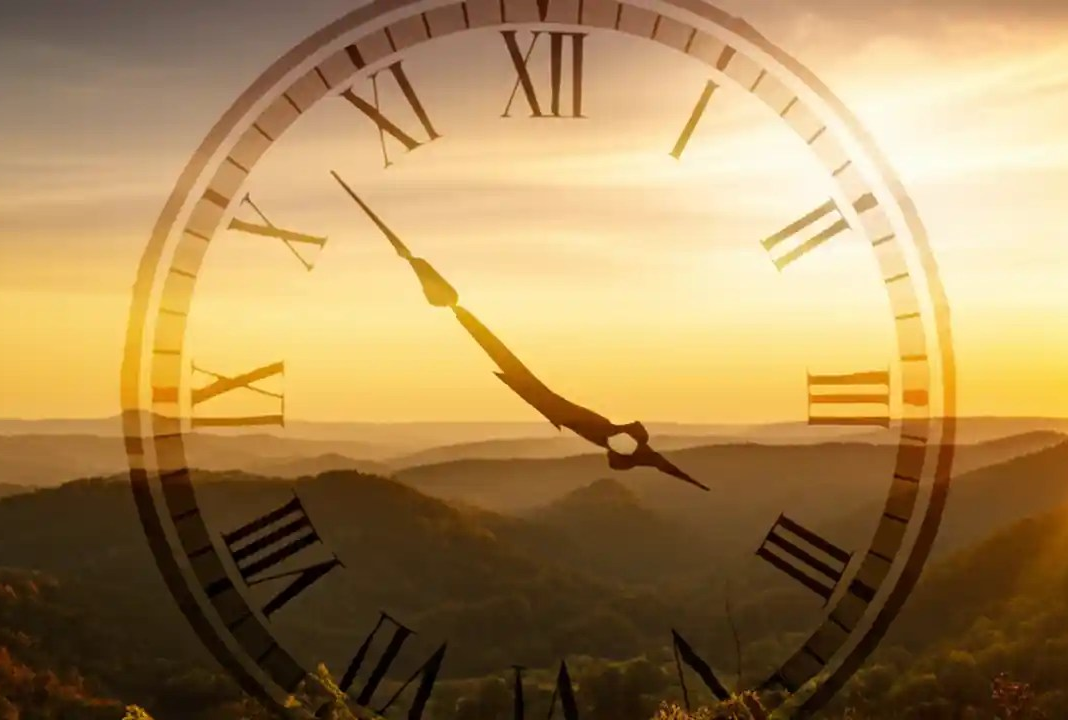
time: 3:52
